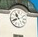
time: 10:41
